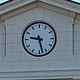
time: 9:27
